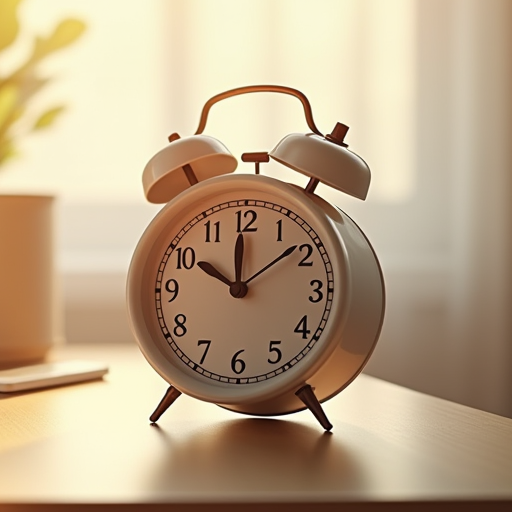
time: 9:59
